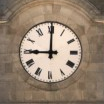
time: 9:00
